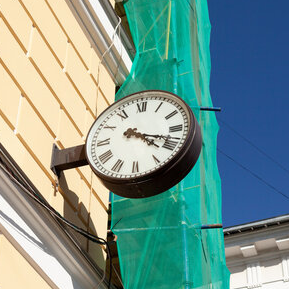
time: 4:18
